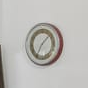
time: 7:07
